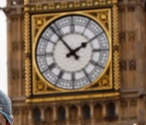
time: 1:53
